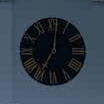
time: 7:01
